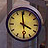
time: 3:58
